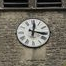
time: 12:16
